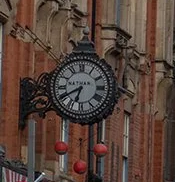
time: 6:40
